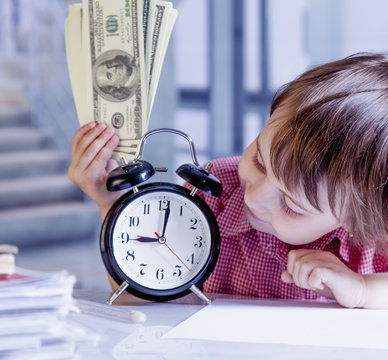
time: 9:01
